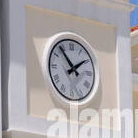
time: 1:53
